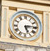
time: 5:14
